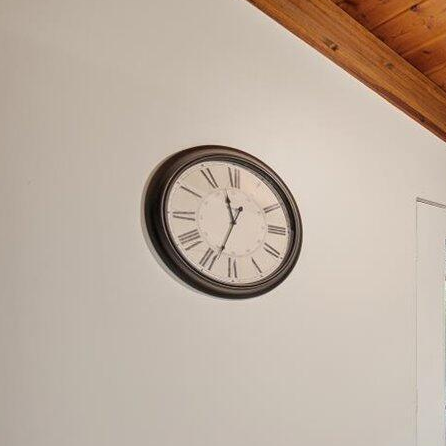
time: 11:33
